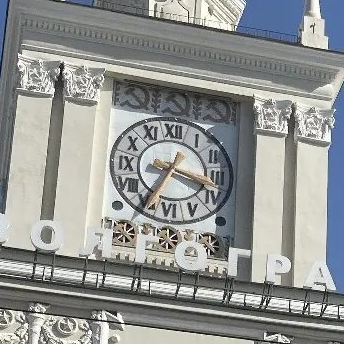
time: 3:35
